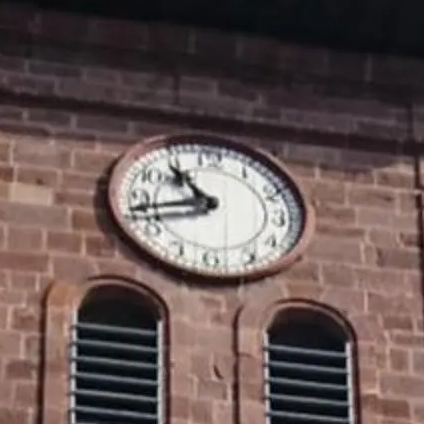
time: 10:42
